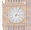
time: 3:04
